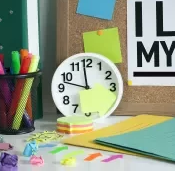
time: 11:47
